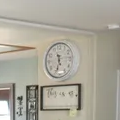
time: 11:33
